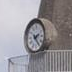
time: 2:23
